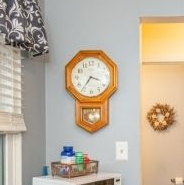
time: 3:35
